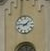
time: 1:46
